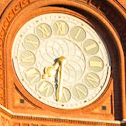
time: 7:31
